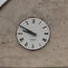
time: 9:50
